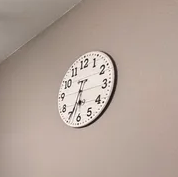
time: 5:34
